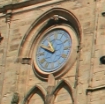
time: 9:49
